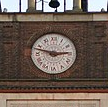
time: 2:47
